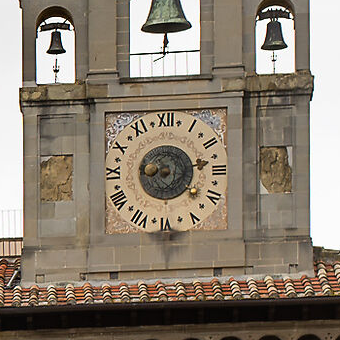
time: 9:12
